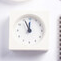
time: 11:55
